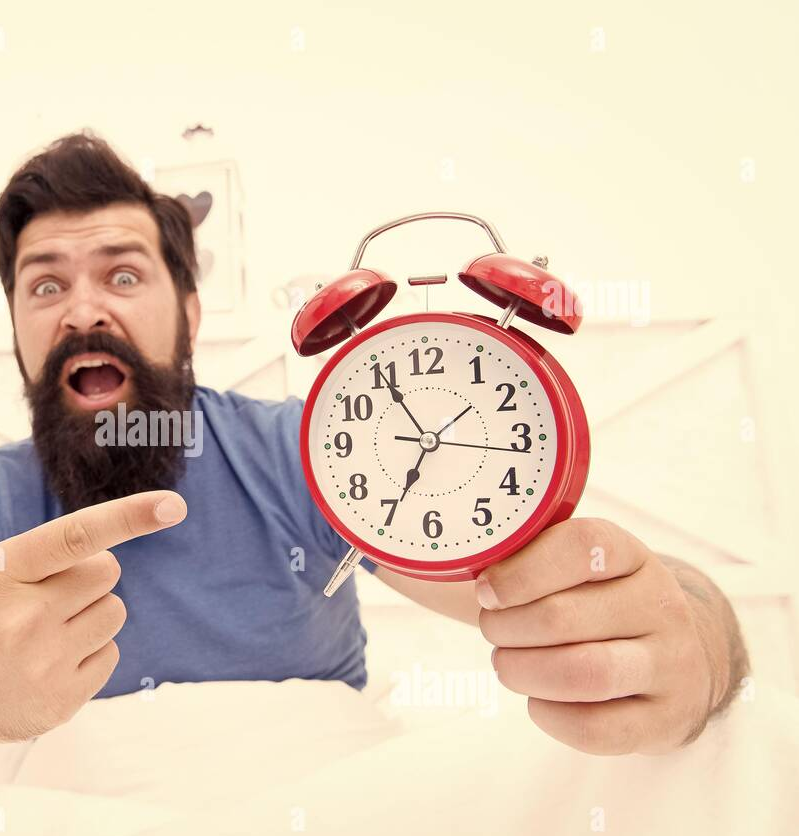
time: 6:55
